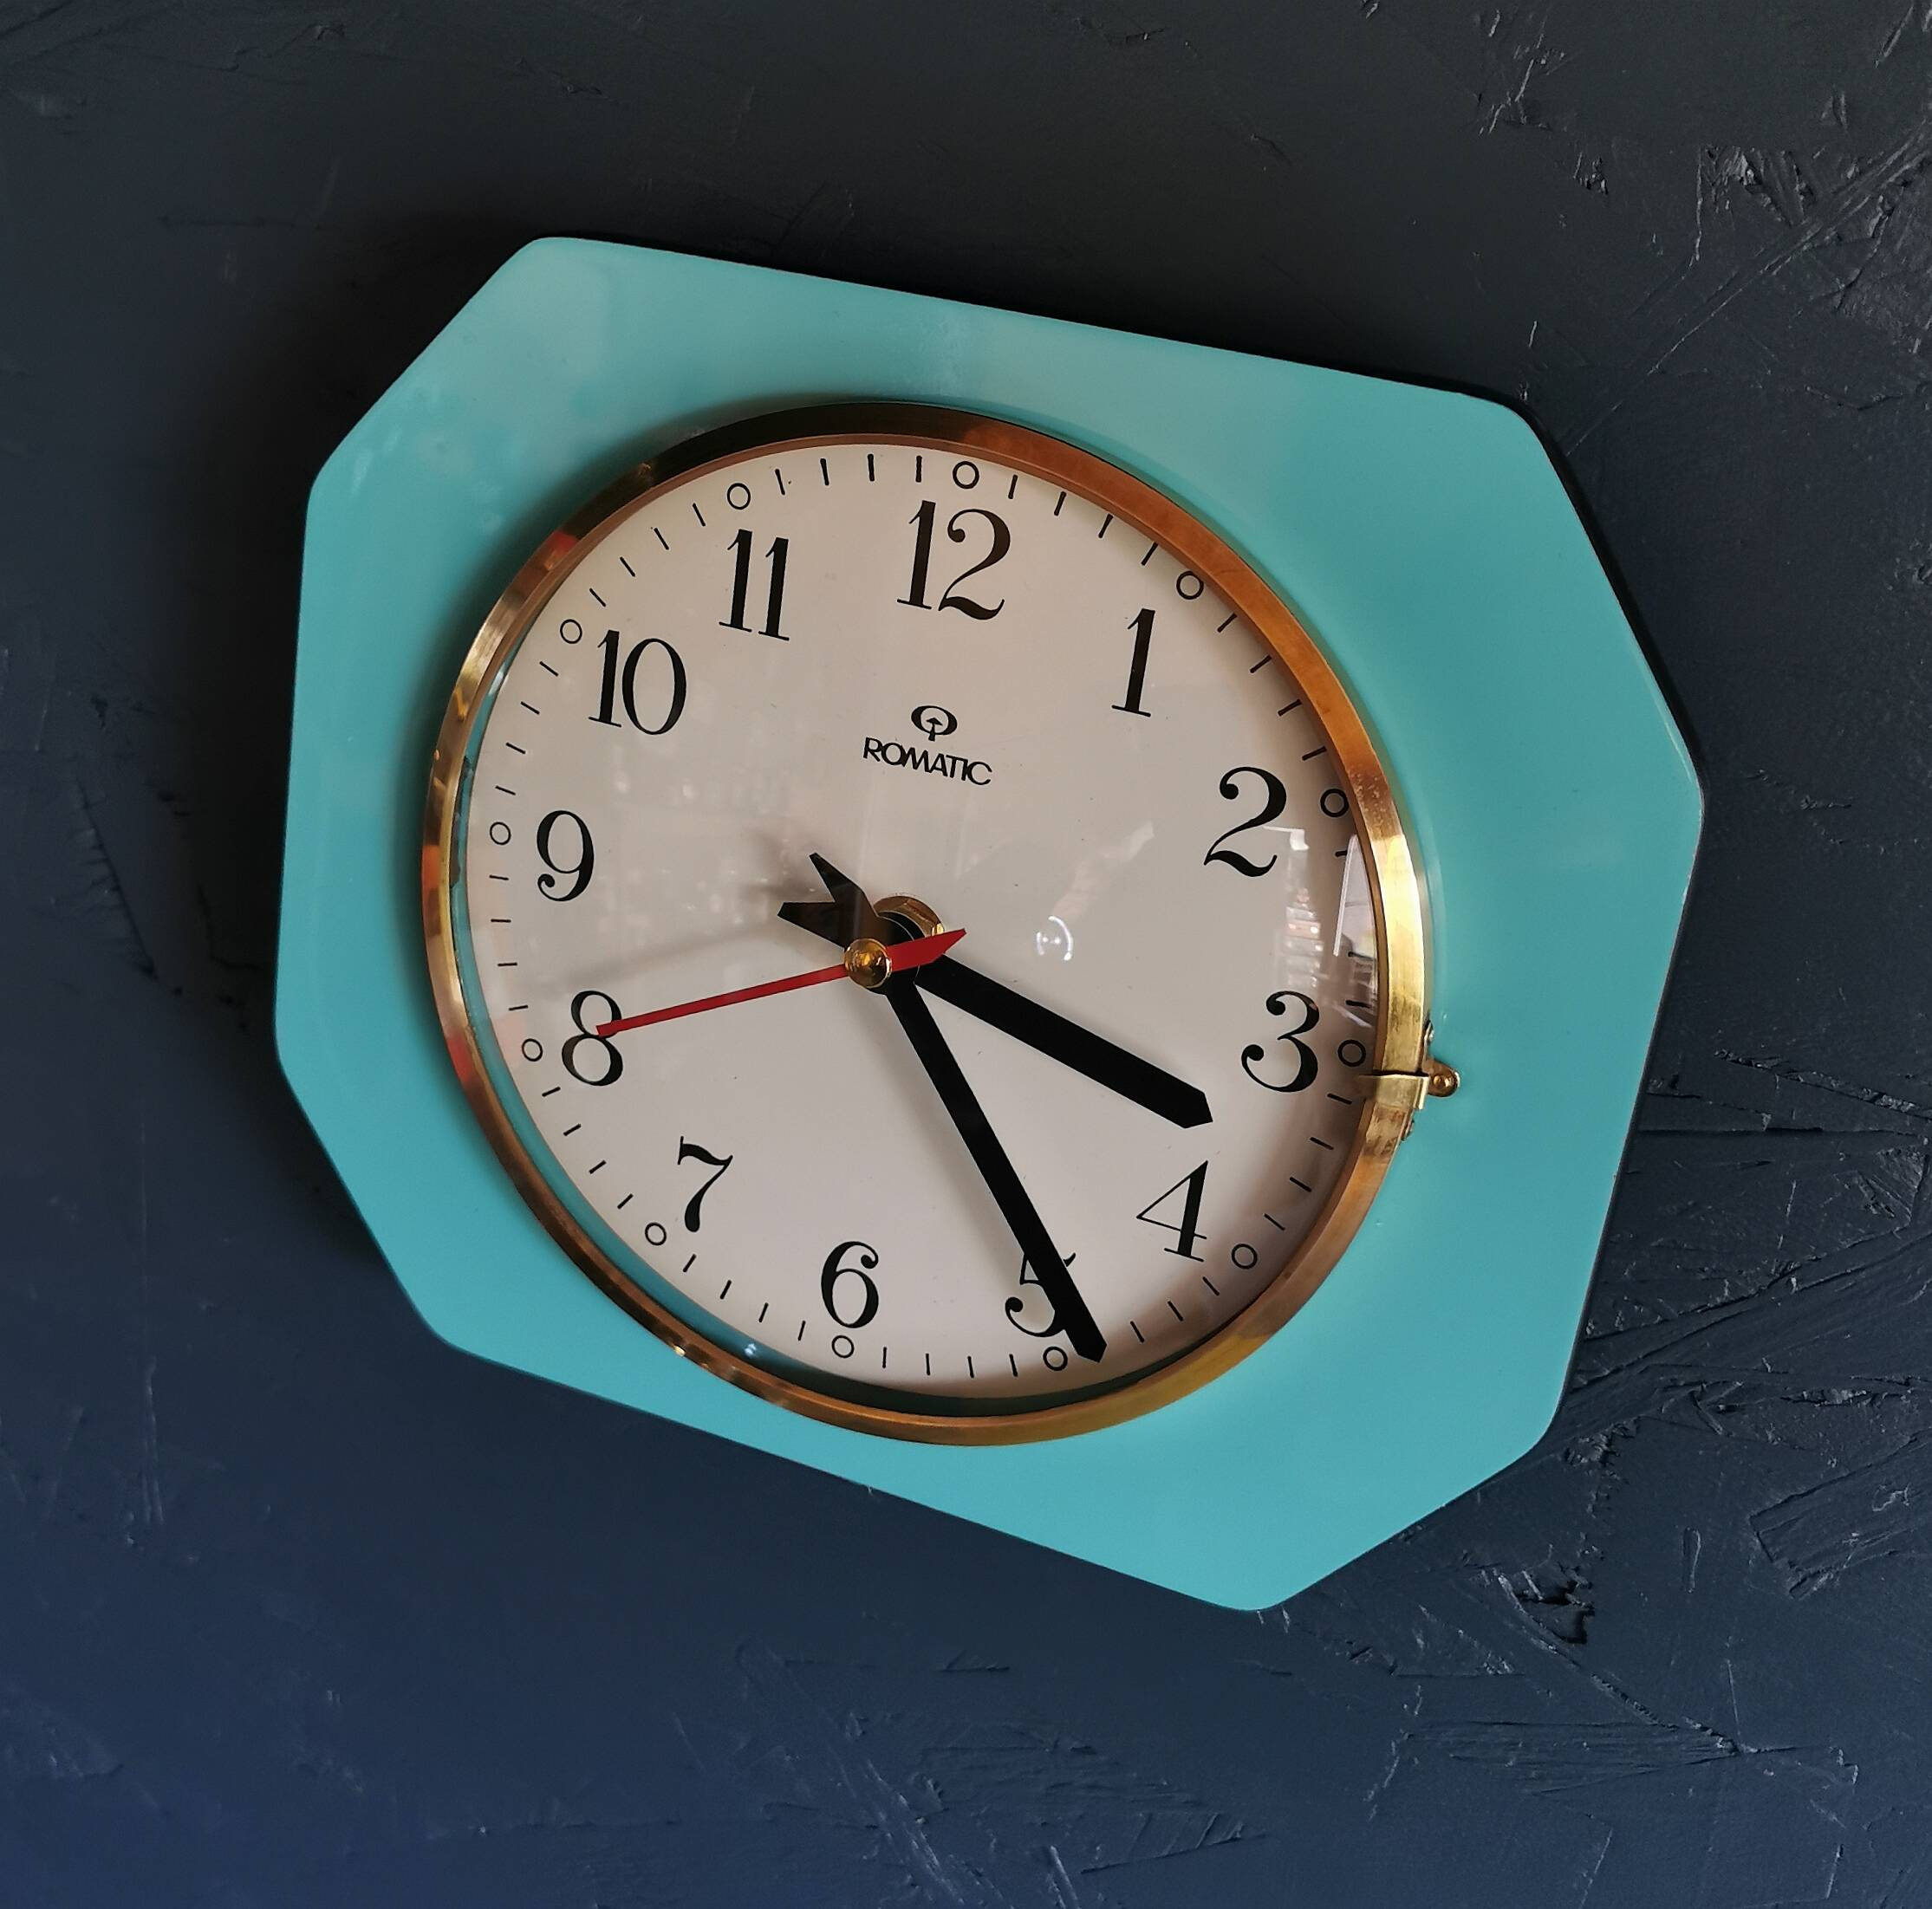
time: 3:23
